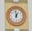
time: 6:58
